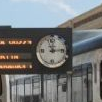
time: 12:14
